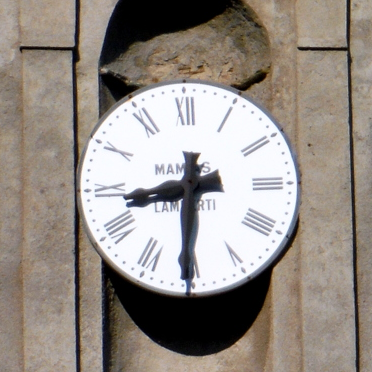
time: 8:30
